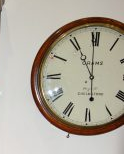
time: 10:59
